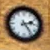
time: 2:23
